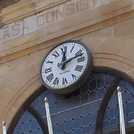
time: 12:12
